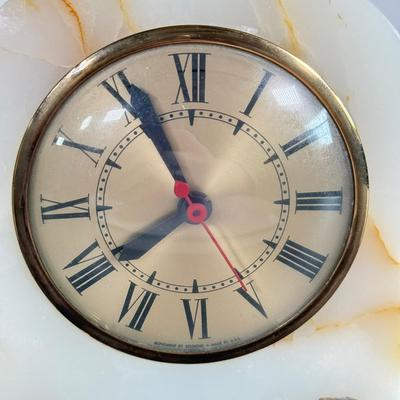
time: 7:55
